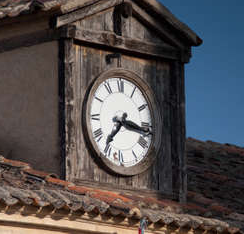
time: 7:16
